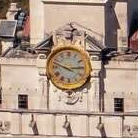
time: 2:48
